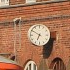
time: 6:50
